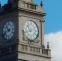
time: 10:42
